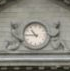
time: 10:45
